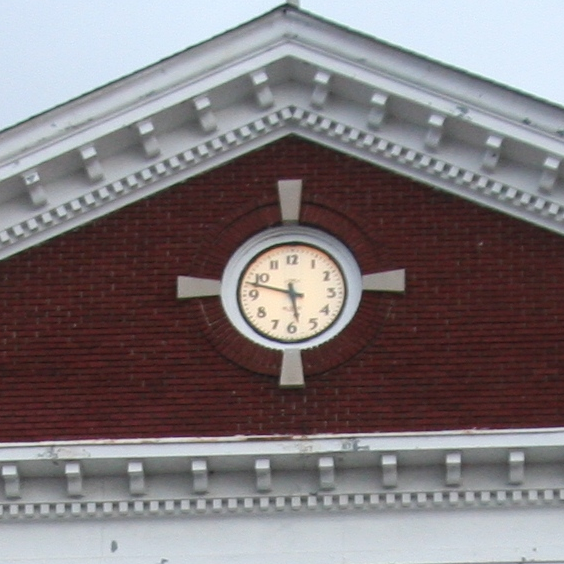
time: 5:47
